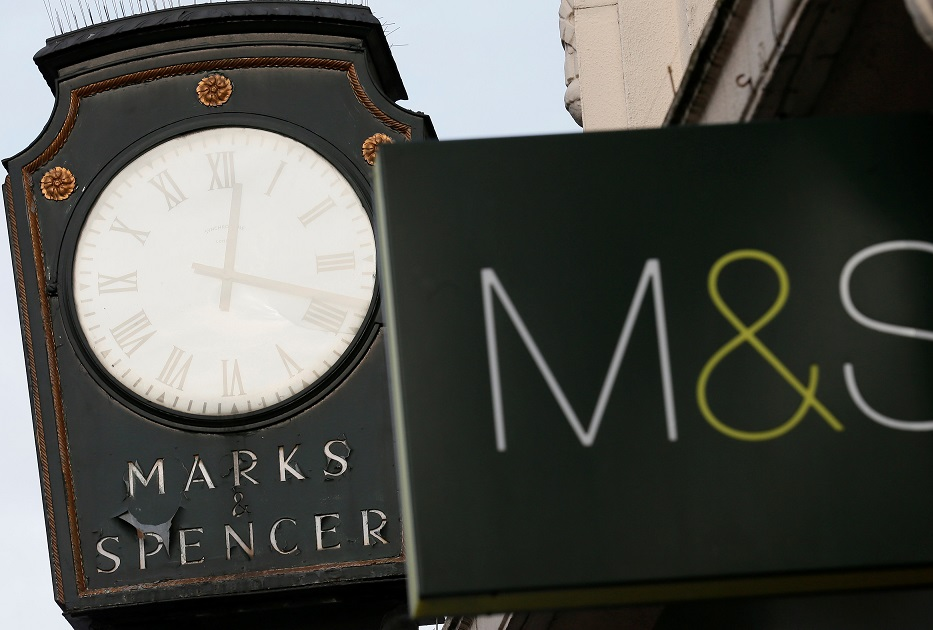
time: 12:18
